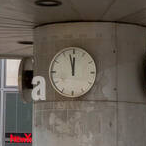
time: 11:57
